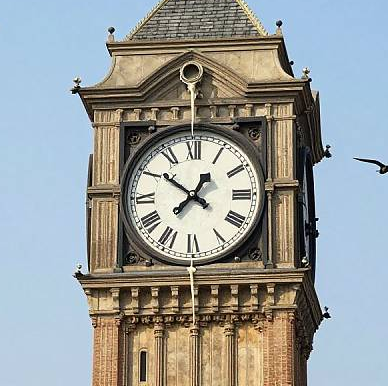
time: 12:51
